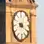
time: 9:20
